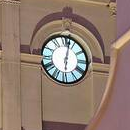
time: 6:02
